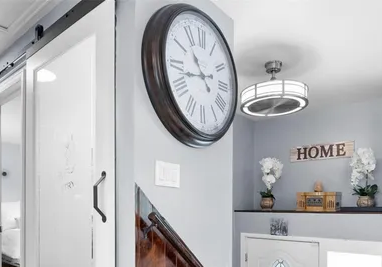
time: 10:43
